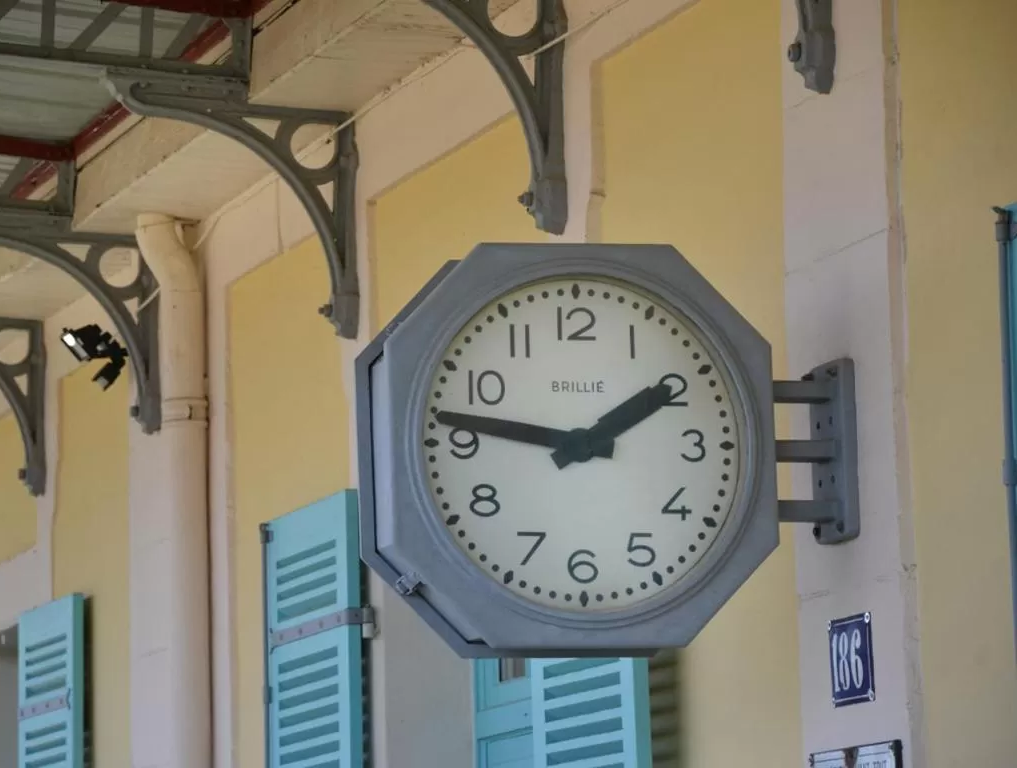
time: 1:46
